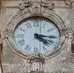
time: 4:16
